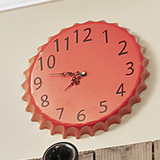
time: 7:46
